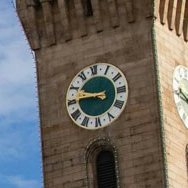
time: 9:45
